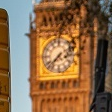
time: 7:37
